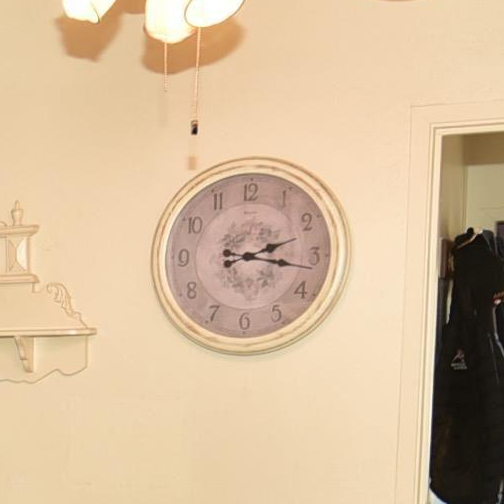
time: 2:16
